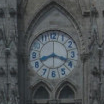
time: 8:18
